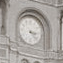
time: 3:22
